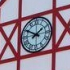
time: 1:50
